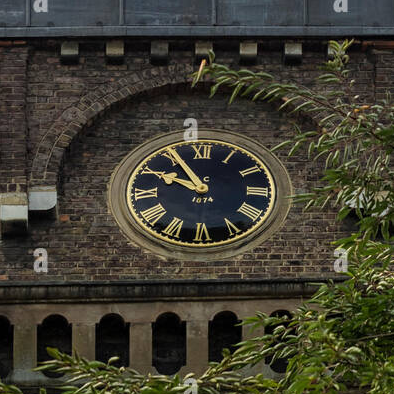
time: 9:55
